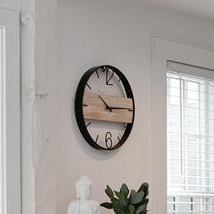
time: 10:14
